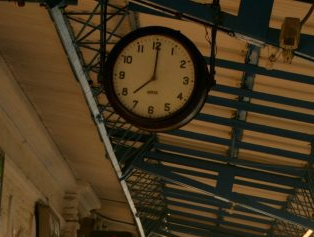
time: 8:00
